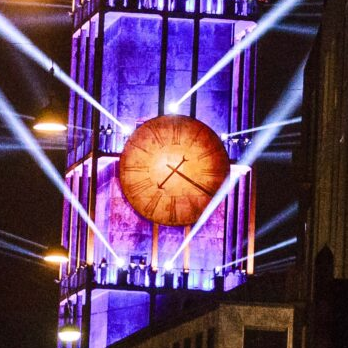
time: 7:19
